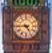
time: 4:44
